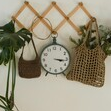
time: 3:16
